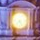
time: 4:37
